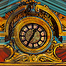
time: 12:34
